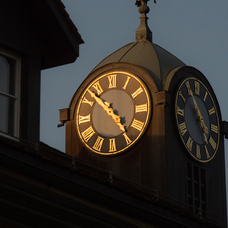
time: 4:52
